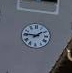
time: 1:46
